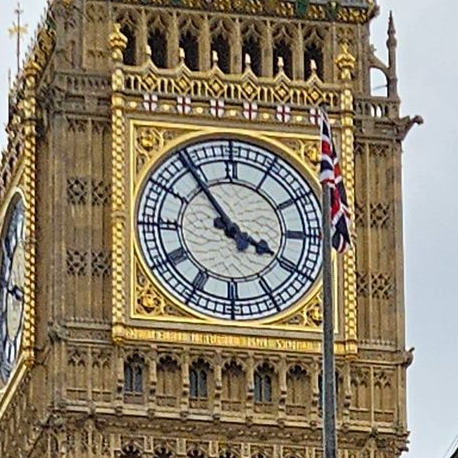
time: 3:53
